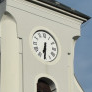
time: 6:30
